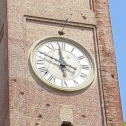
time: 11:48
